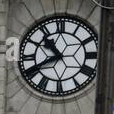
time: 10:40
